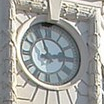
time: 2:56
